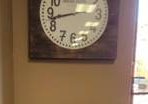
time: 8:42
